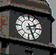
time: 2:25
